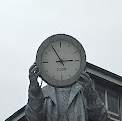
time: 2:54
